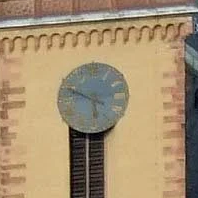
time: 5:48
